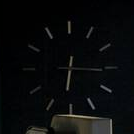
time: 6:15
